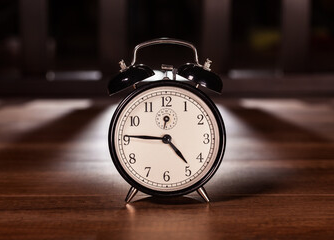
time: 4:45
